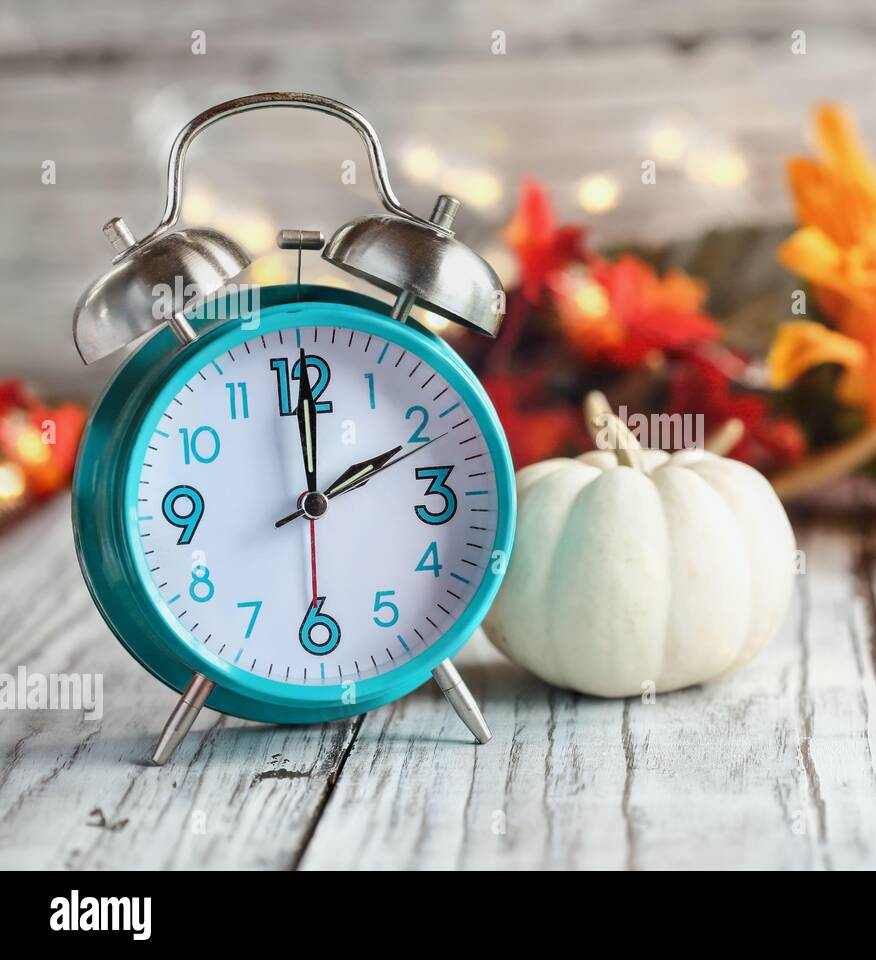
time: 2:00
